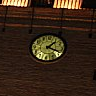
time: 1:18
